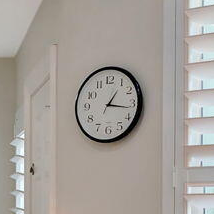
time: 1:16
